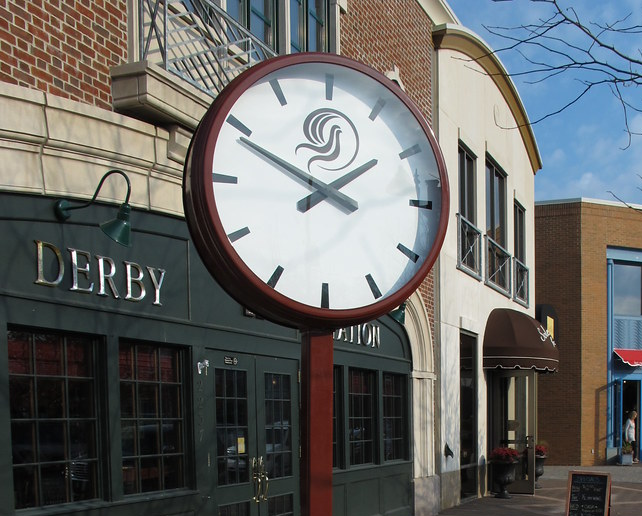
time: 1:49
